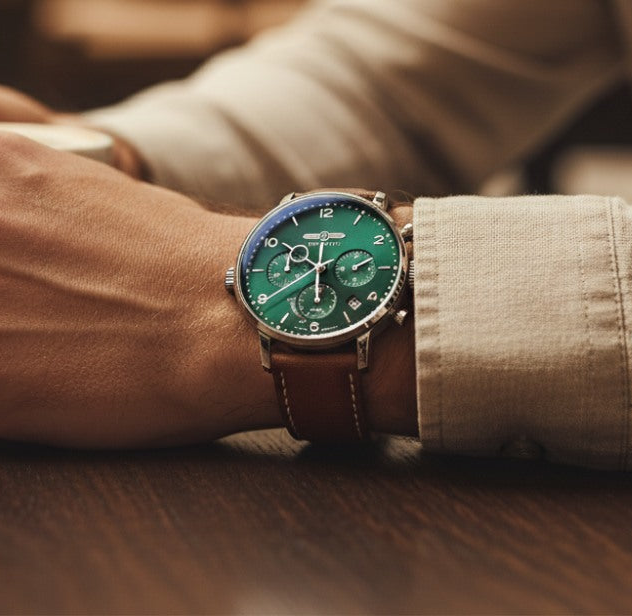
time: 5:50
